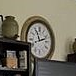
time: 11:12
